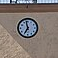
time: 6:58
